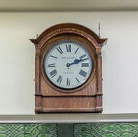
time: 2:11
